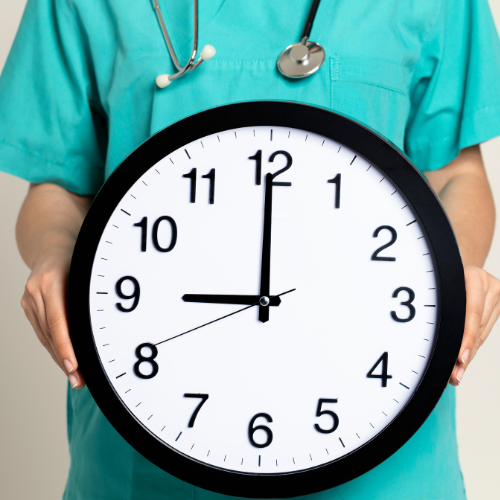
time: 8:59
